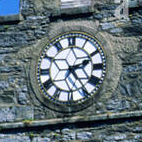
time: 2:24
